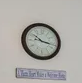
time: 10:17
